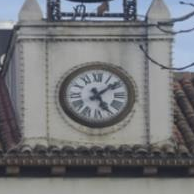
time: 5:08
